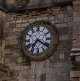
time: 7:21
